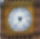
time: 5:12
